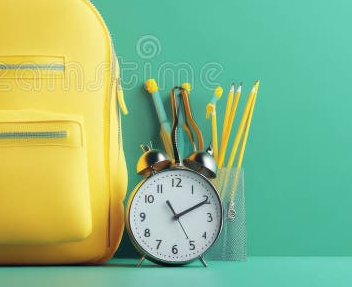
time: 11:10
